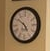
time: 4:50
